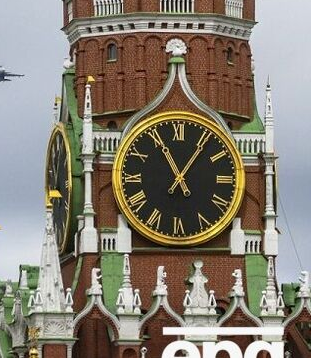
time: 11:05
